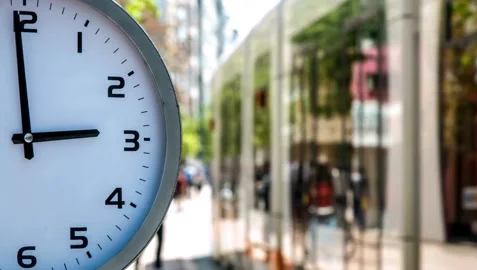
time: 2:58
